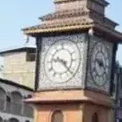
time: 9:22
